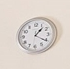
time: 1:20
